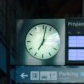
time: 7:01
